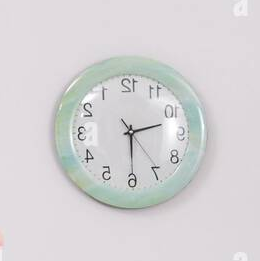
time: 2:29
